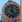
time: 12:24
